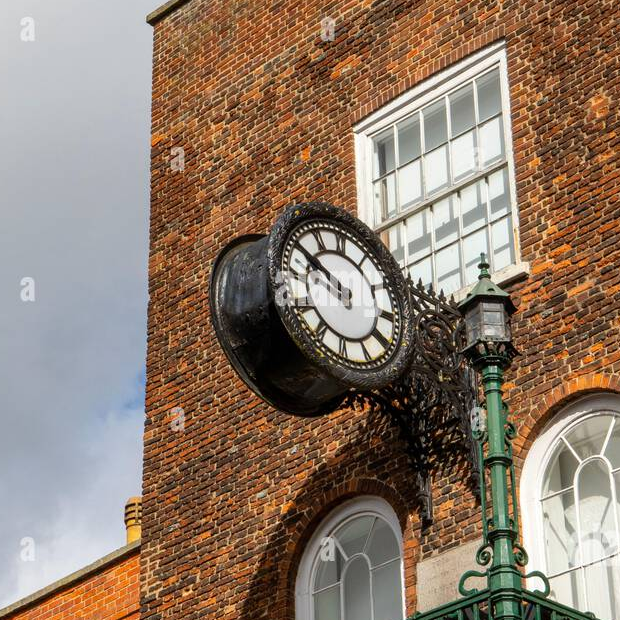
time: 9:50
